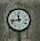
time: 11:43
